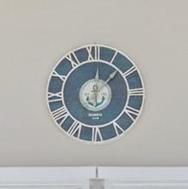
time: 12:07
